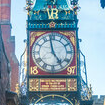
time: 4:58
